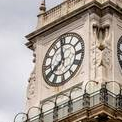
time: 7:59
